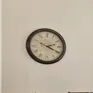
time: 2:19
